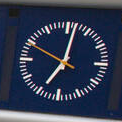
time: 7:01
